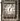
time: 6:06
